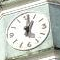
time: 1:01
